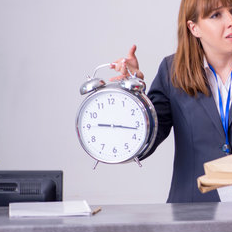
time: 9:16
